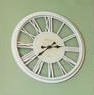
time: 2:38
